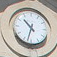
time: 10:32
